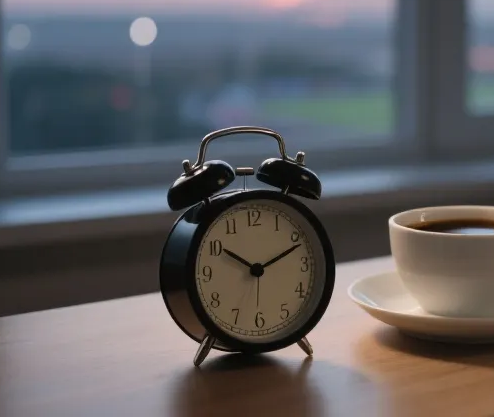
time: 10:11
